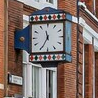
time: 11:34
